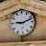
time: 9:12
